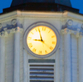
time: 8:56
